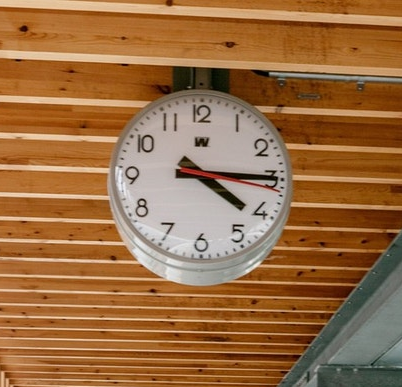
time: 4:14
